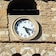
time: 5:18
